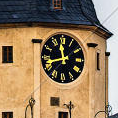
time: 11:42
